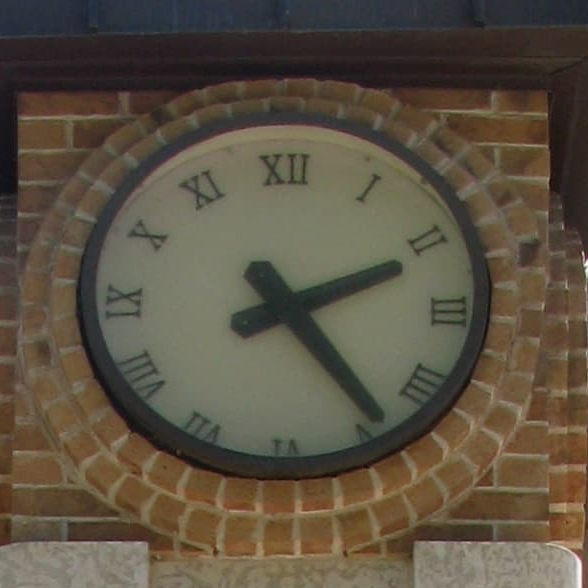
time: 2:24
